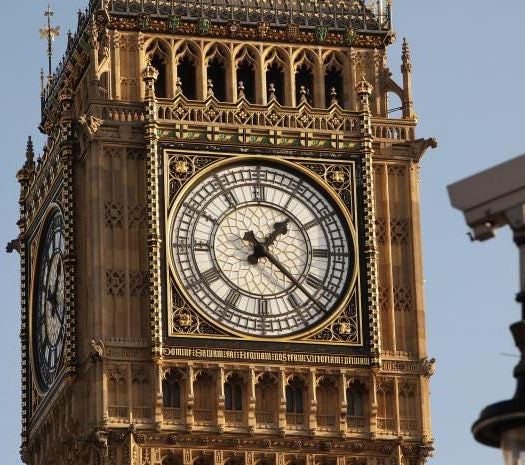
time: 1:22
